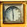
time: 5:59
